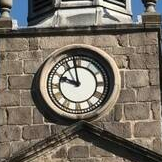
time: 9:57
